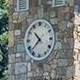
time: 10:37
